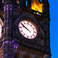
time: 9:50
